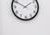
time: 1:50
